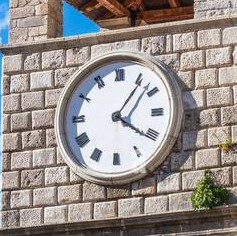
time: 4:06
